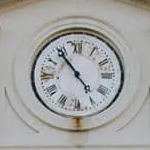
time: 4:54
